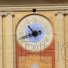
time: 10:41
